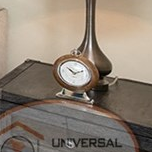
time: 10:11
